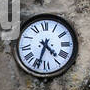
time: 4:33
